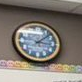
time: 3:07
